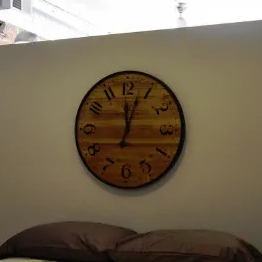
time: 12:03
